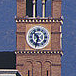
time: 10:32
